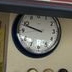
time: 9:48
